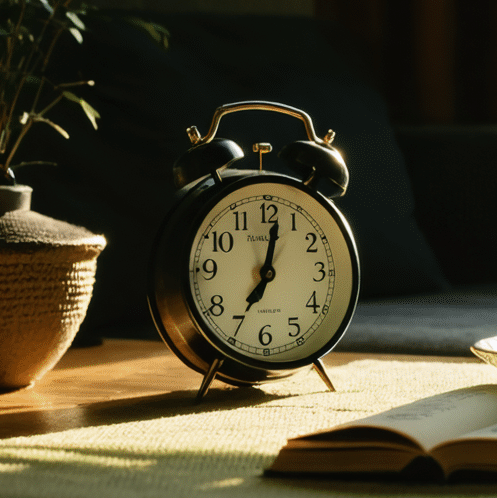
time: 7:02
